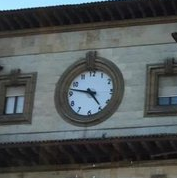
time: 4:47
